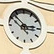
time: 2:53
